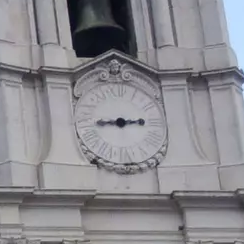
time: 2:43
